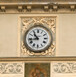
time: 10:43
